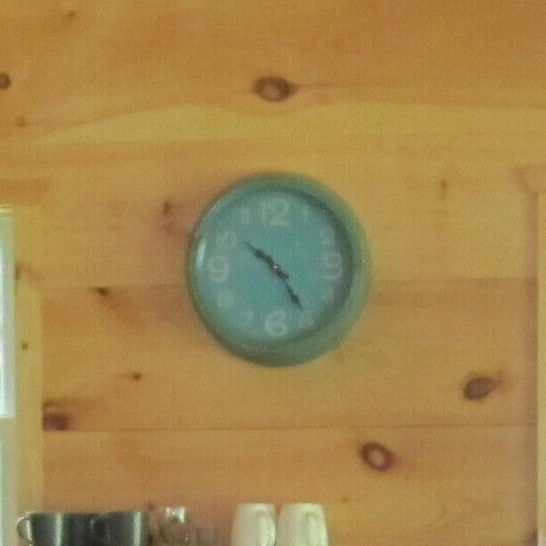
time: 10:24
